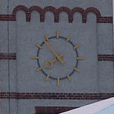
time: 7:53
